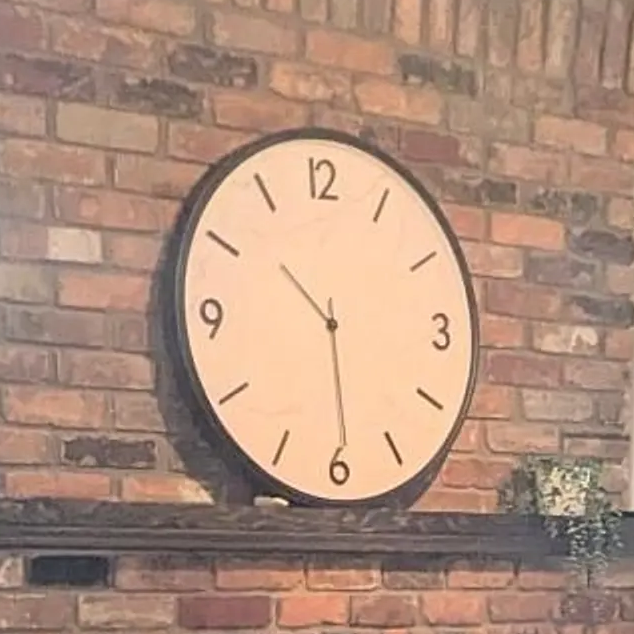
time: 10:29
